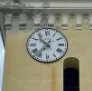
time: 10:37
